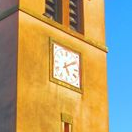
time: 5:09
